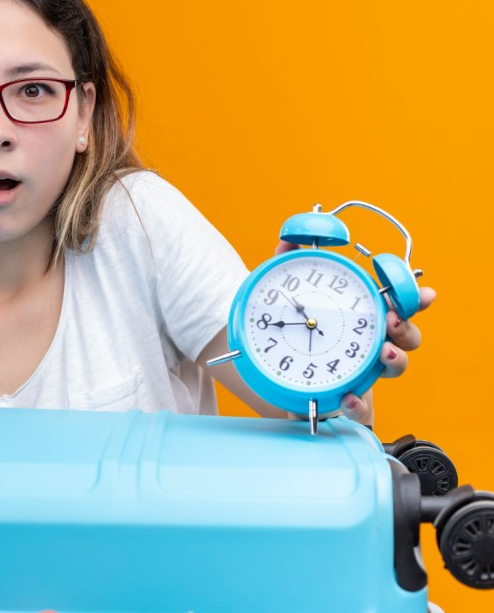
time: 10:44
